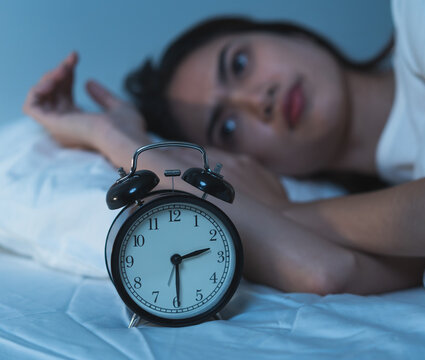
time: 2:29
